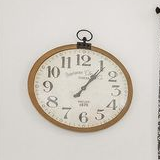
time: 1:06
